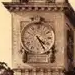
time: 4:24
